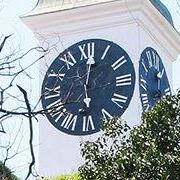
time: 6:01
